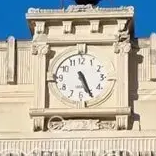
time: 5:26
